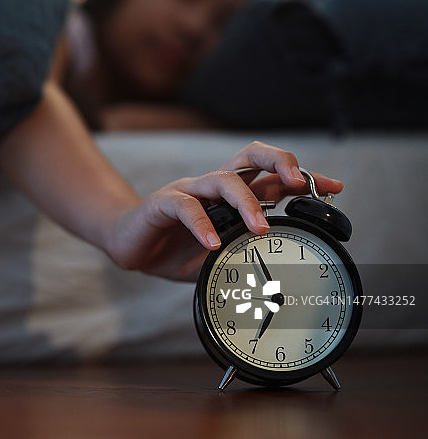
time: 6:56
